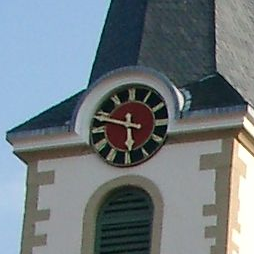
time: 5:47
